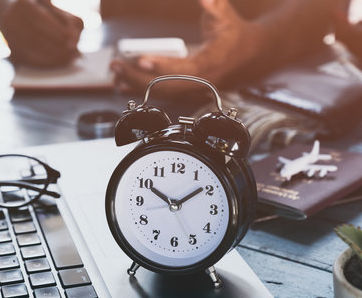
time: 1:50
